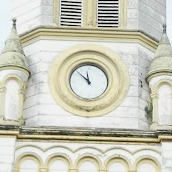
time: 11:52
